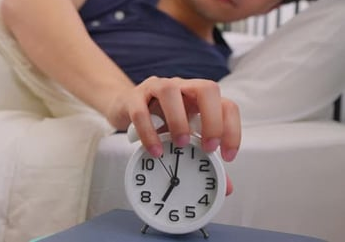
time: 7:00
